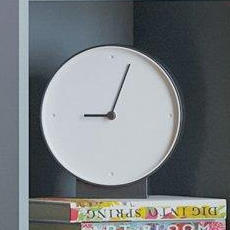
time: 9:03
